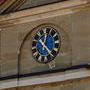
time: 12:23
